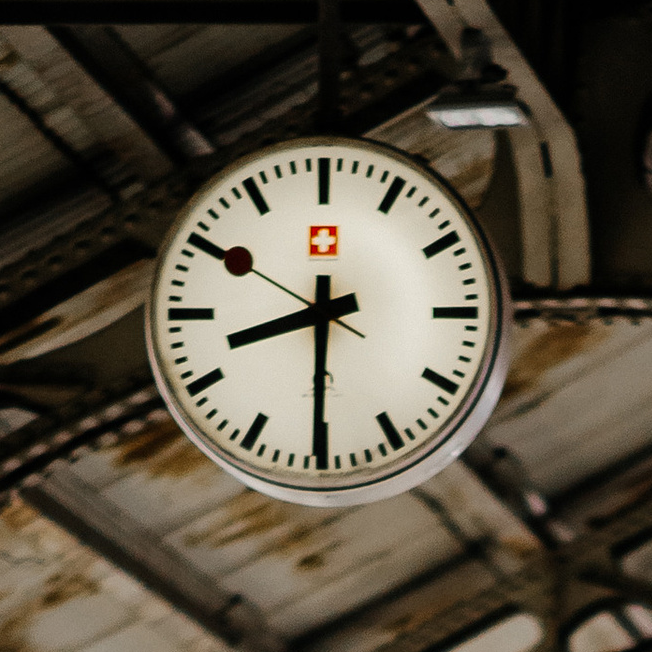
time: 8:30
